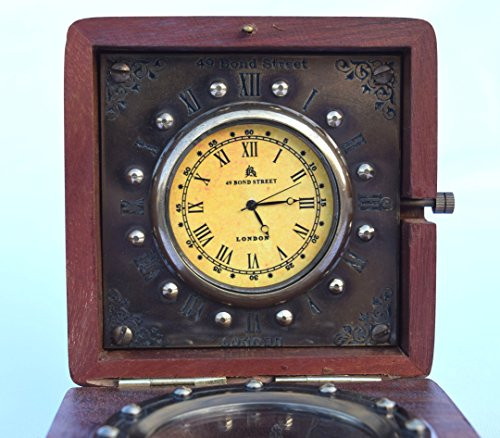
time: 5:14
